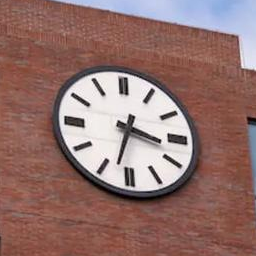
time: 3:32
